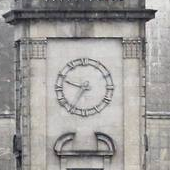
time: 9:35
